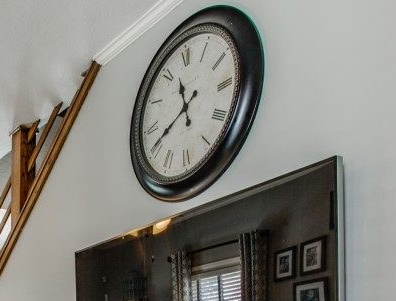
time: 11:40
